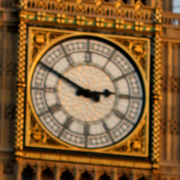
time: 2:49
